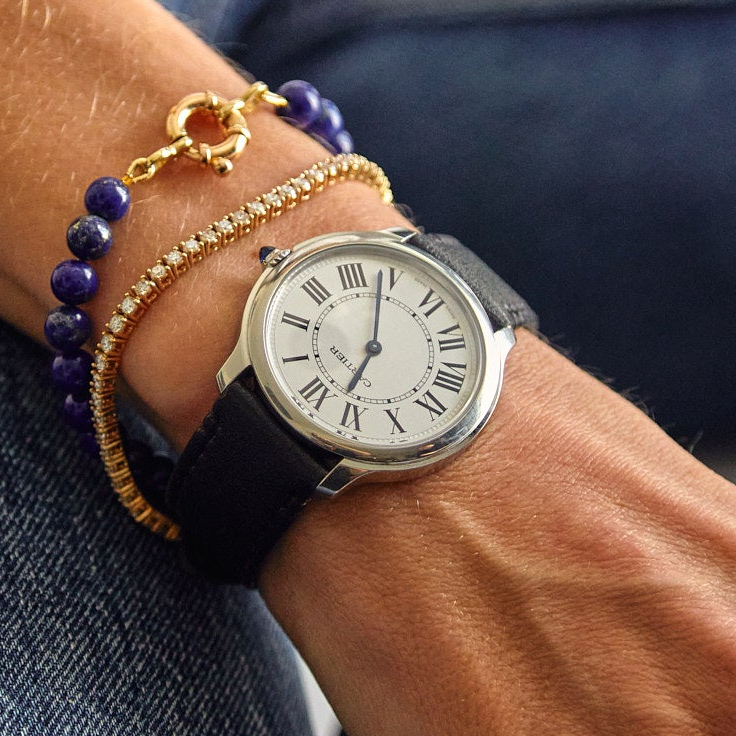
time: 7:03
